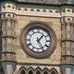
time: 1:25
